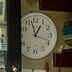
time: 12:57
